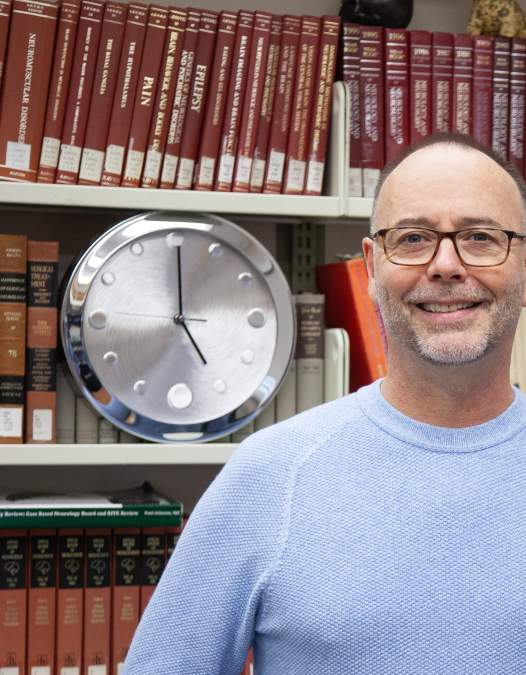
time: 5:00
